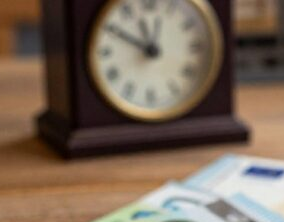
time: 11:49
